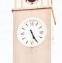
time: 5:25
